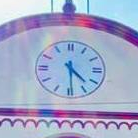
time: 4:29
